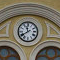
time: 11:39
